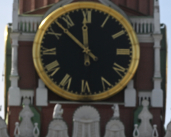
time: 11:52
